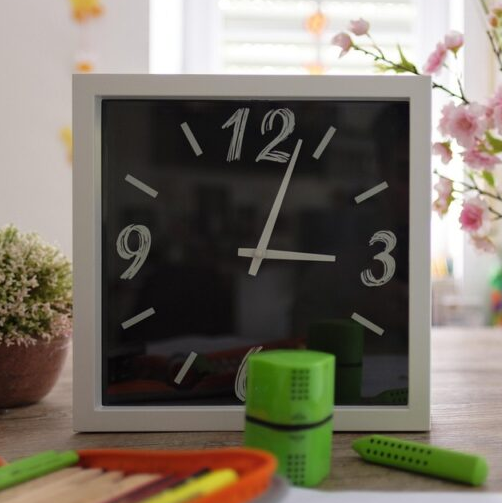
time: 3:03
